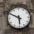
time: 5:49
